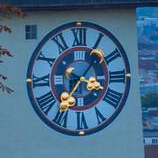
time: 3:35
